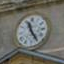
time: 11:24
